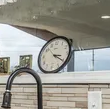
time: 3:20
